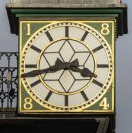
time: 3:42
